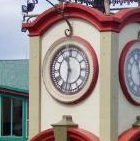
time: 11:32
